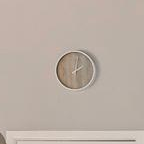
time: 2:01
